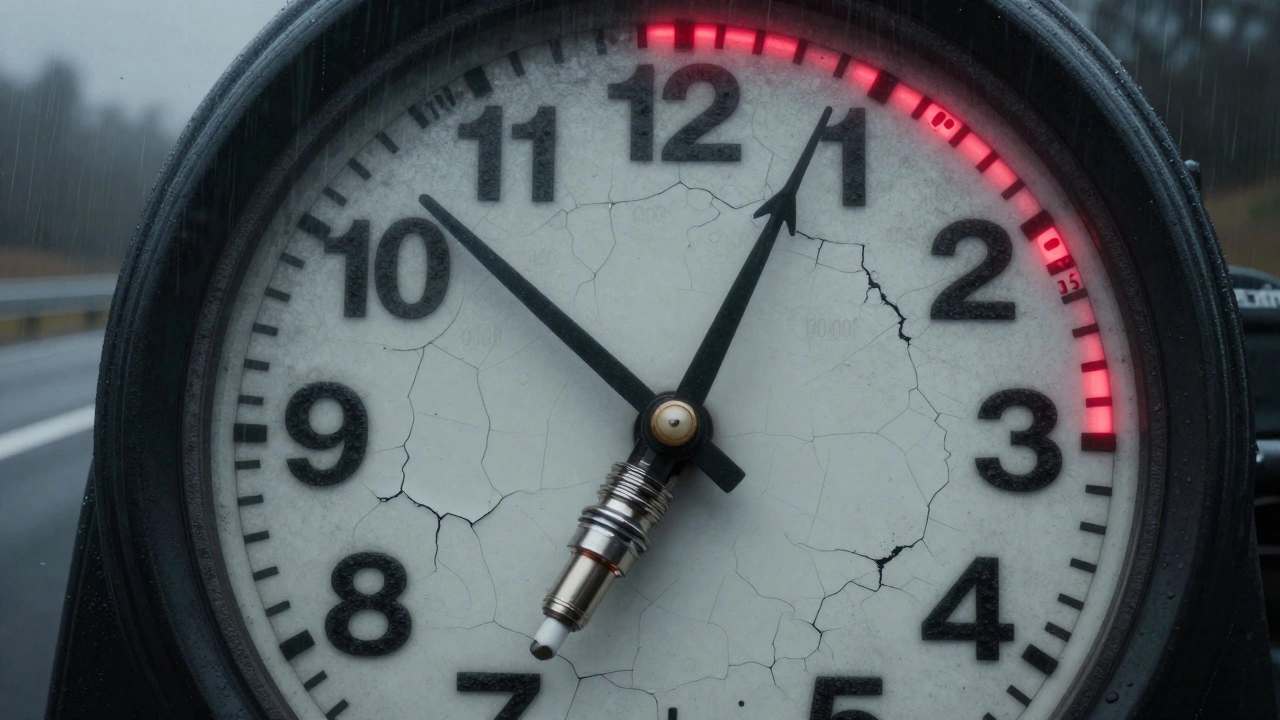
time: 12:52
